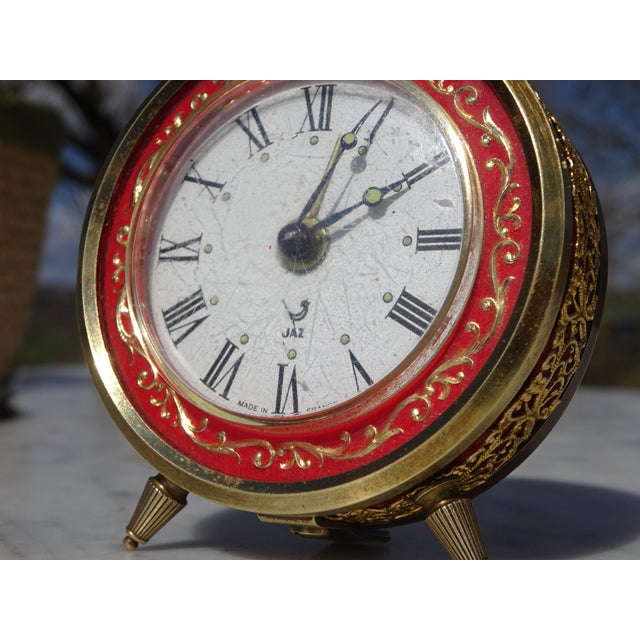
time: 2:03
